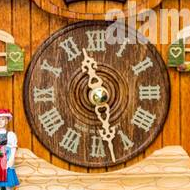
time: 11:28
